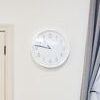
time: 9:47
